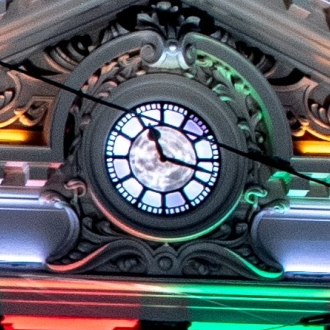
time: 11:17
